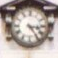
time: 3:23
